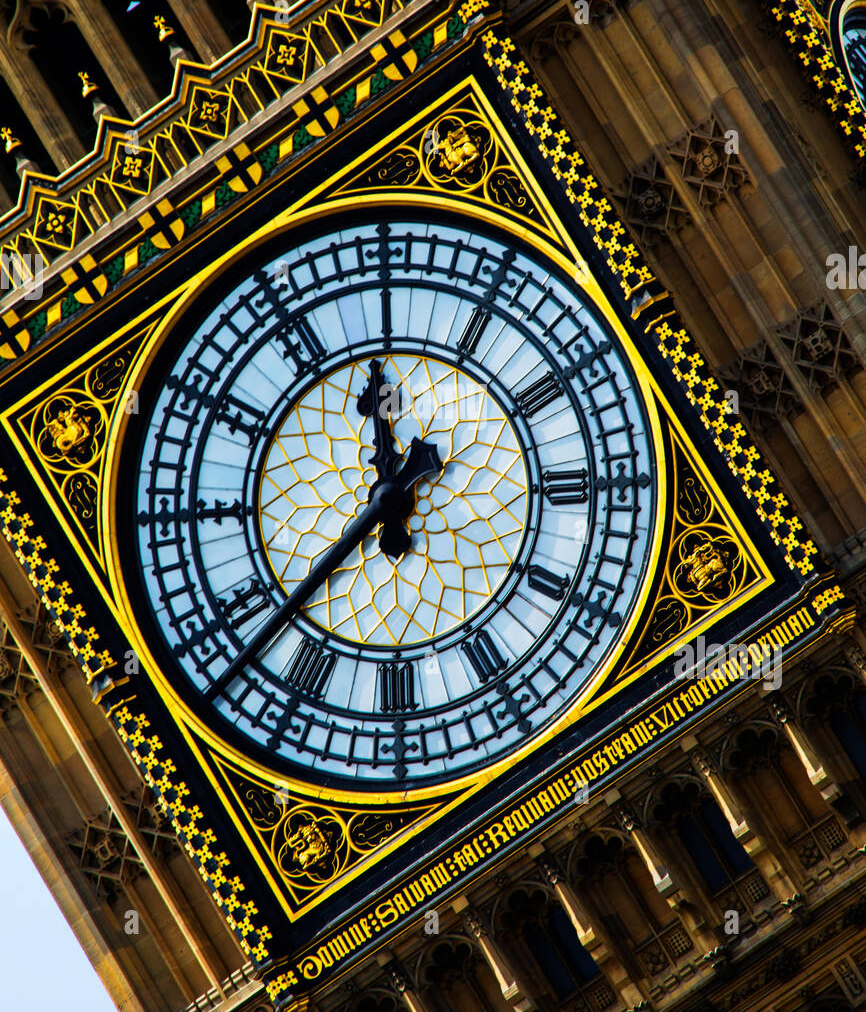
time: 11:37
